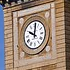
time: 10:01
